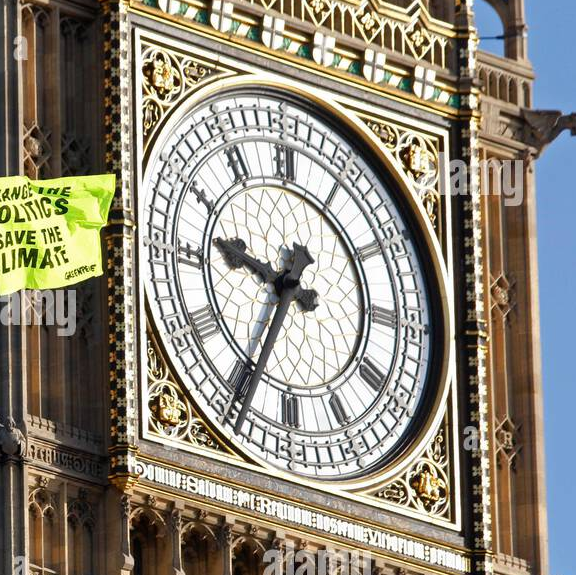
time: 9:34
